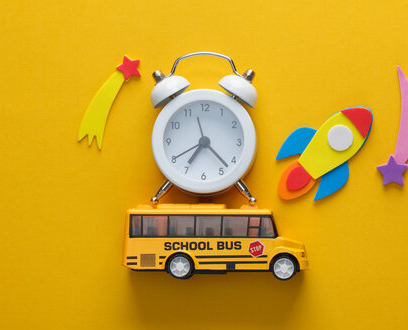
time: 7:22
